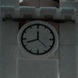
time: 8:22
